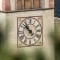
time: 10:52
